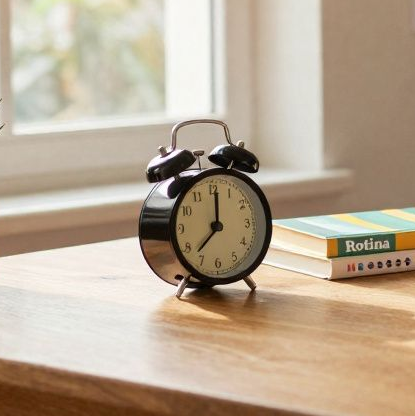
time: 7:01
